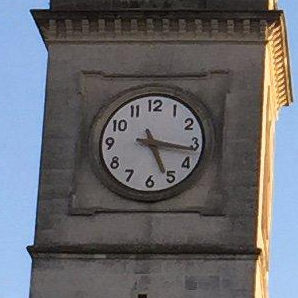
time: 5:16
